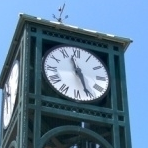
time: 11:26
